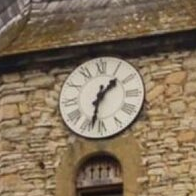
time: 1:32
